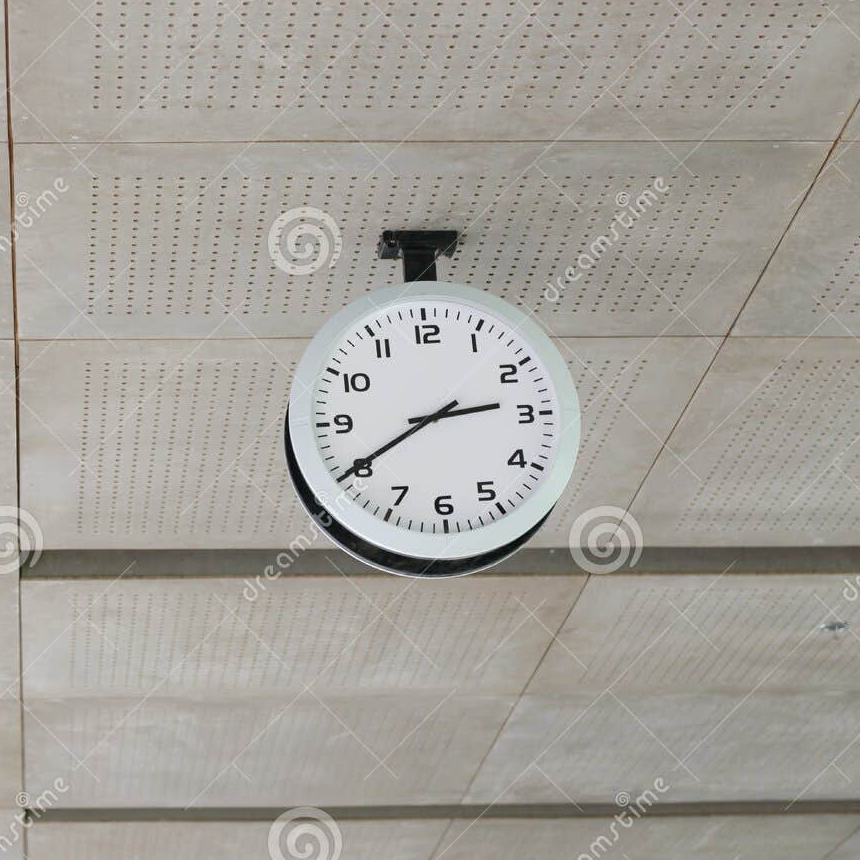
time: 2:40
